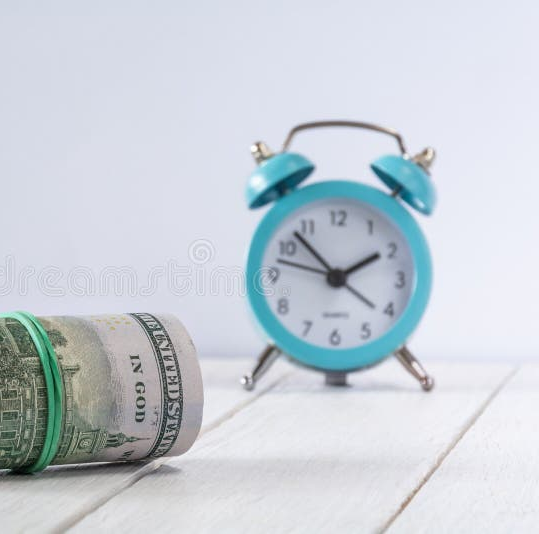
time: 1:52
